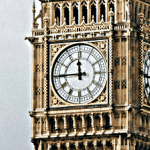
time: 11:44
